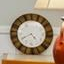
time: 4:40
